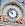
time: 9:57
